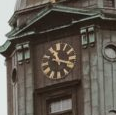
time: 11:17
